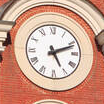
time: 5:11
